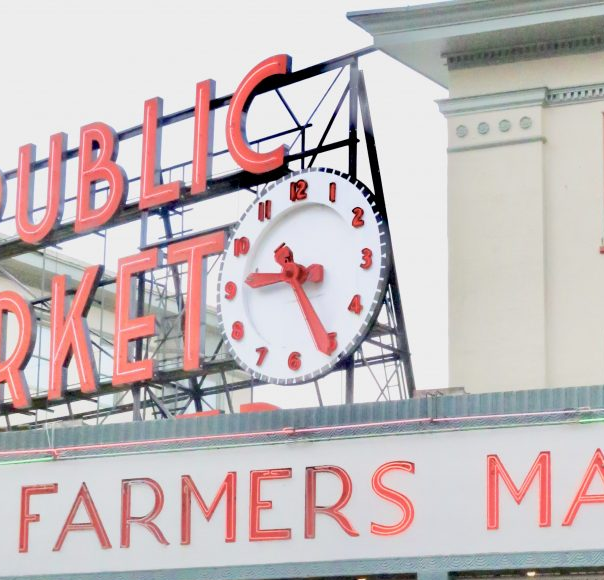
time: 9:25
